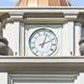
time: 2:02
